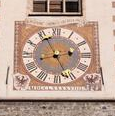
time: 2:26
